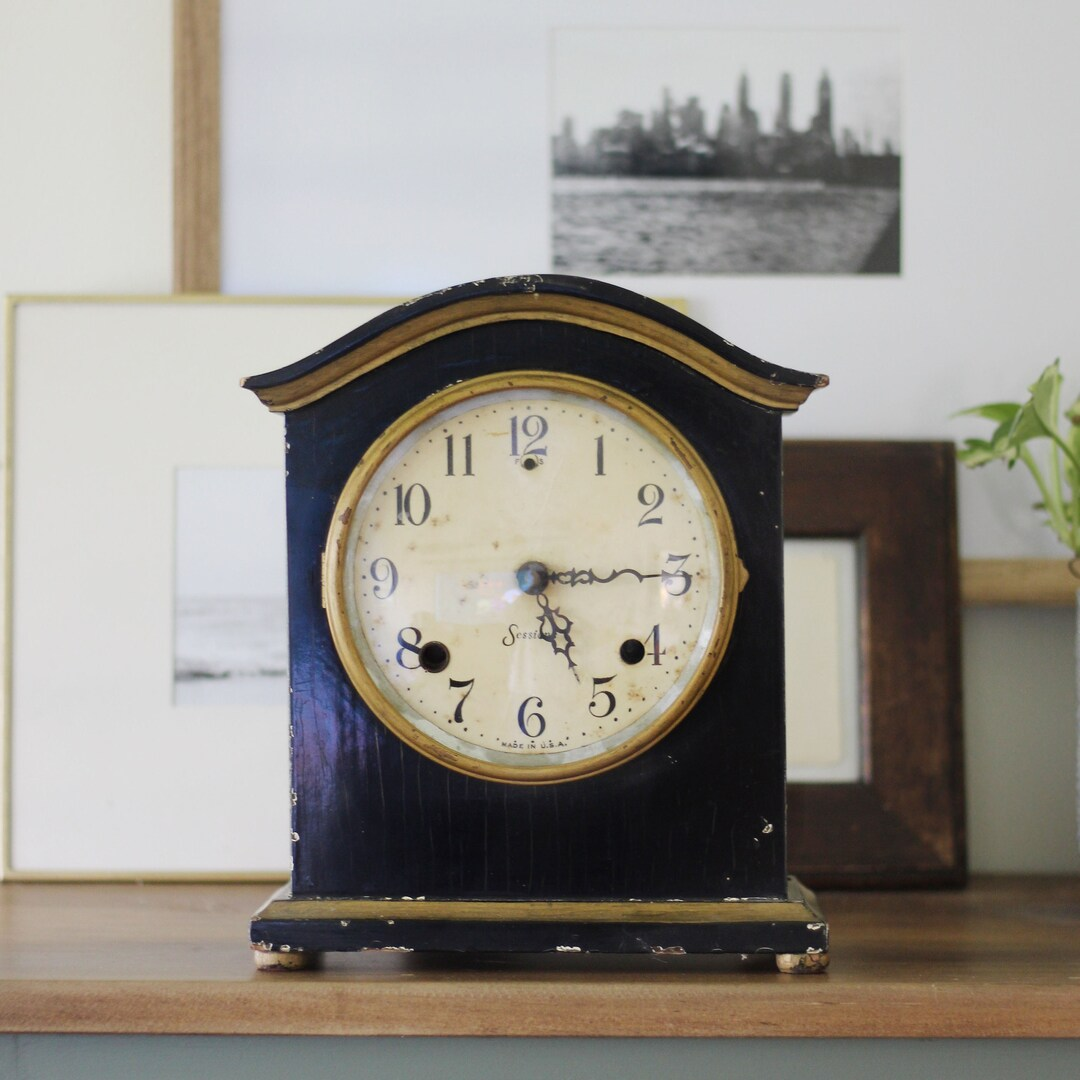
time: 5:14
